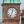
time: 12:33
